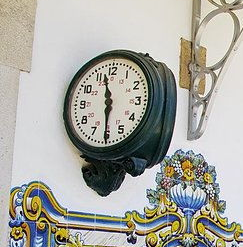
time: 11:30
